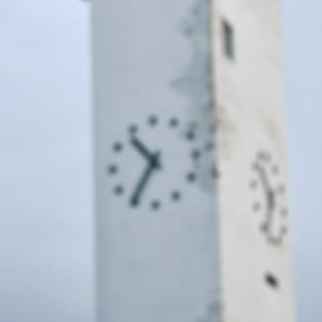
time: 10:35
